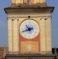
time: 10:41
